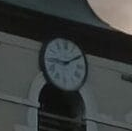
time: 9:10
